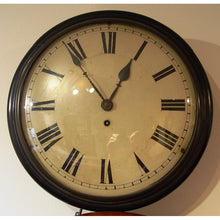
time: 12:53
